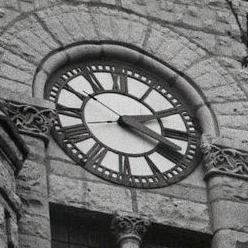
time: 2:18
